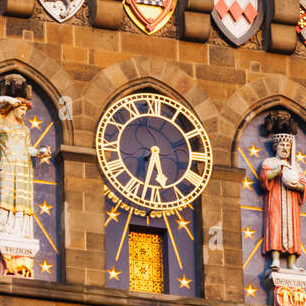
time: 5:32
